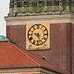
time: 9:27
